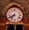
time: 7:40
